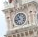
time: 10:42
